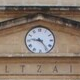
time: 9:23
